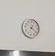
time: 1:20
